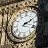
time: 2:18
